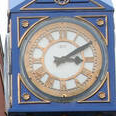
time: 3:09
